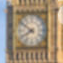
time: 7:51
